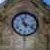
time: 11:18
